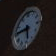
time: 5:45
